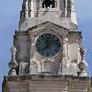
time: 11:37
